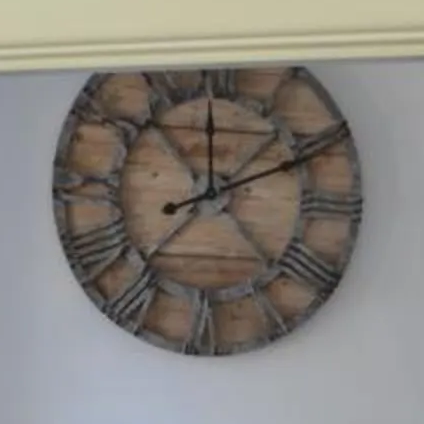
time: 1:59
